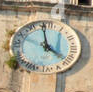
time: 3:58
